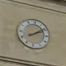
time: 2:09
